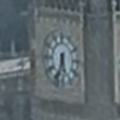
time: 5:33
